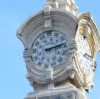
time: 2:12
